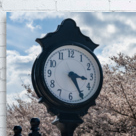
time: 3:25
